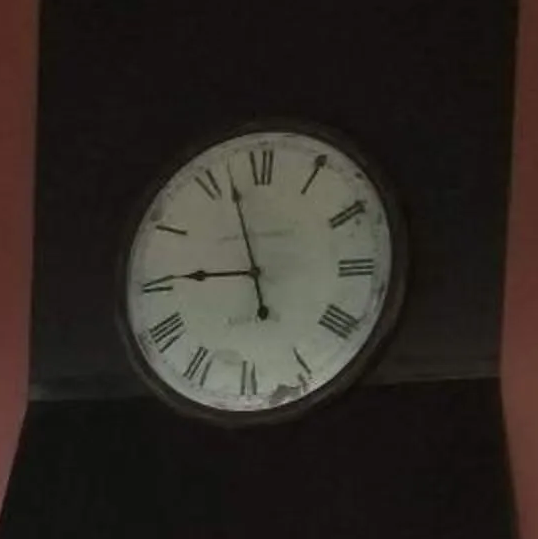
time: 8:57
